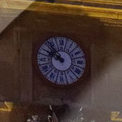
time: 9:53
